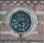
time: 2:29
